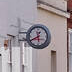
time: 12:40
